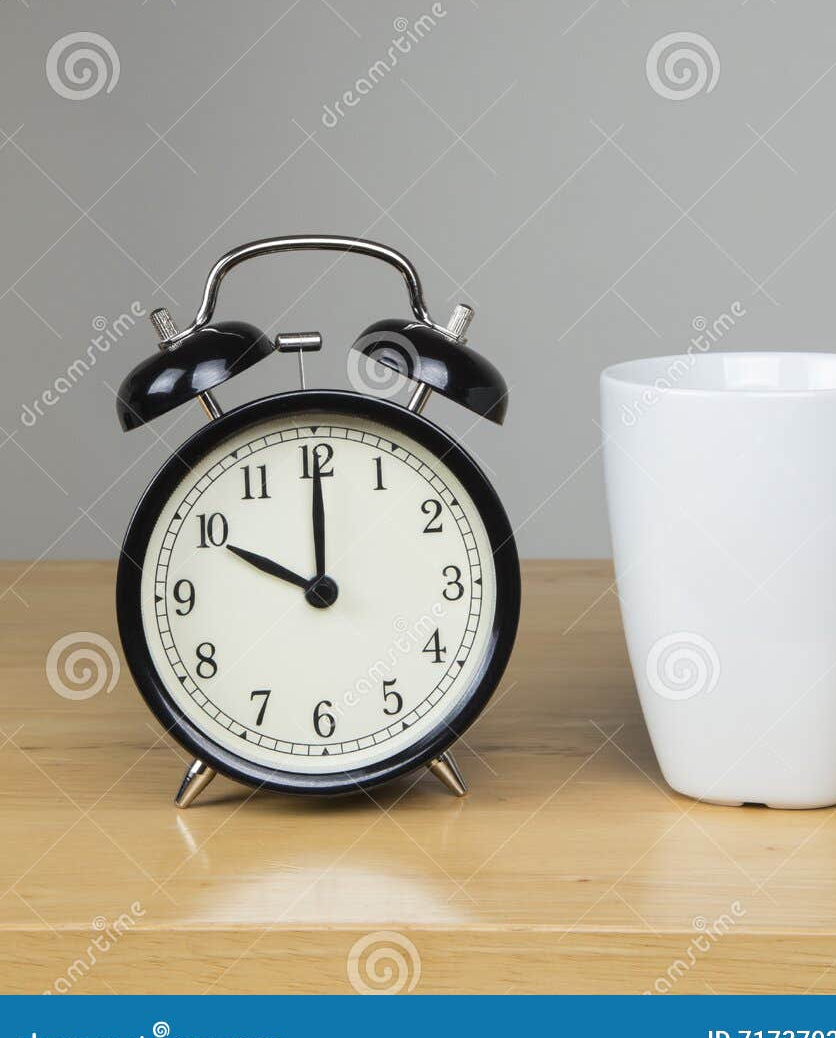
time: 10:00
